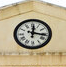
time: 12:16
